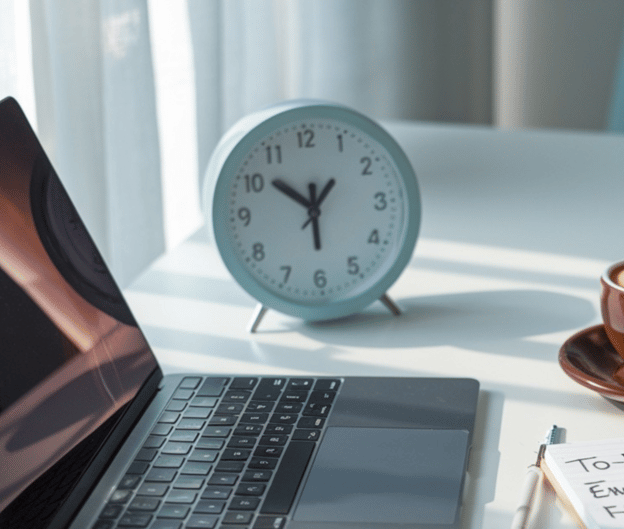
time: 5:51
